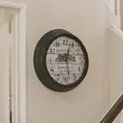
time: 8:28
